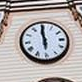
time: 5:59
